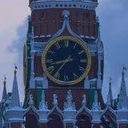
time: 8:36
